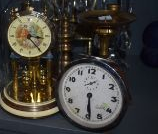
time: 6:29
